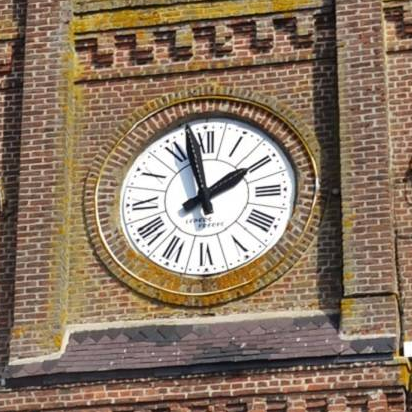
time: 1:57
